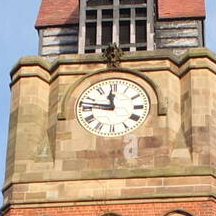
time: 11:46
